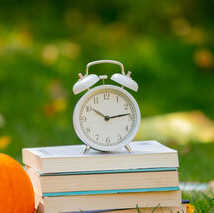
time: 10:13
